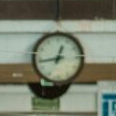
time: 12:43
